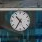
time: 10:35
